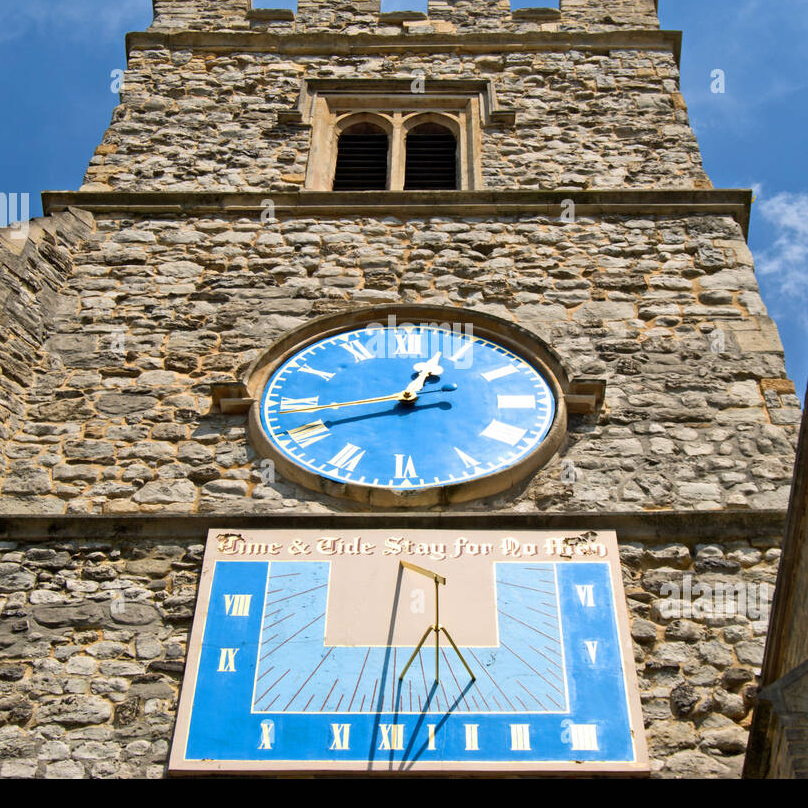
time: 12:42
